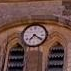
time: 7:20
